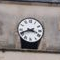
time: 3:41
